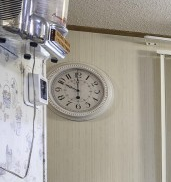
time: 9:59
